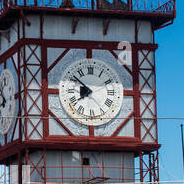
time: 7:51
